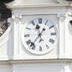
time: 11:36
